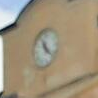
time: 11:22
